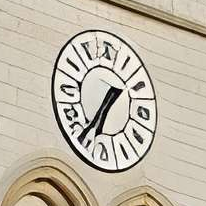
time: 6:36
